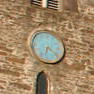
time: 6:21
